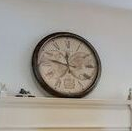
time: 11:47
